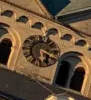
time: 5:18
